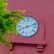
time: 8:11
